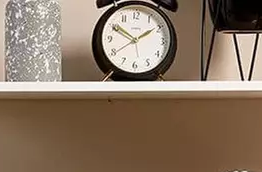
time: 1:50
